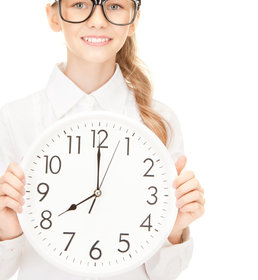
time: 7:59
